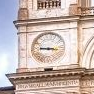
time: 9:16
